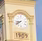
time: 8:39
